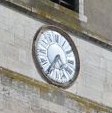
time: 4:35
